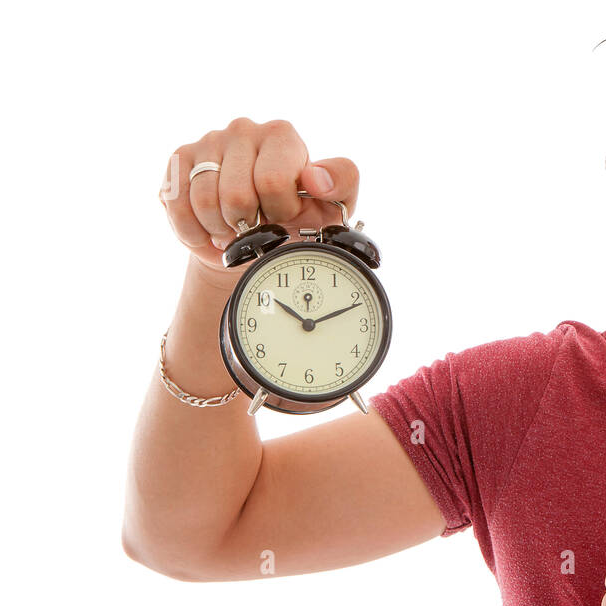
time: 10:11
